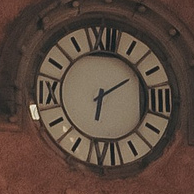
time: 6:09
